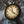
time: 11:21
